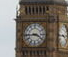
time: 3:43
